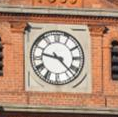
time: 9:22
